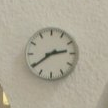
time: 2:39
